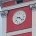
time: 9:22
